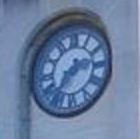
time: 2:36
